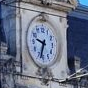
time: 9:33
